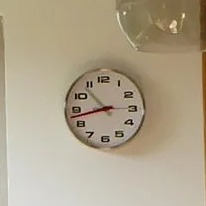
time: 10:42
